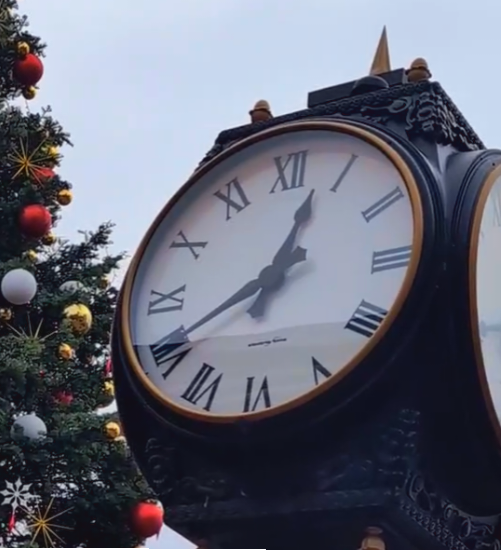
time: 12:40
